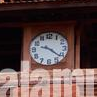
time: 9:21
